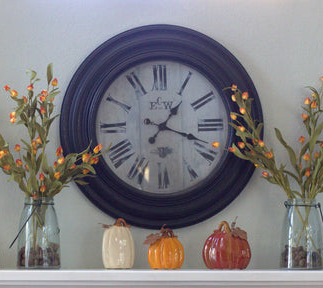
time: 1:18
